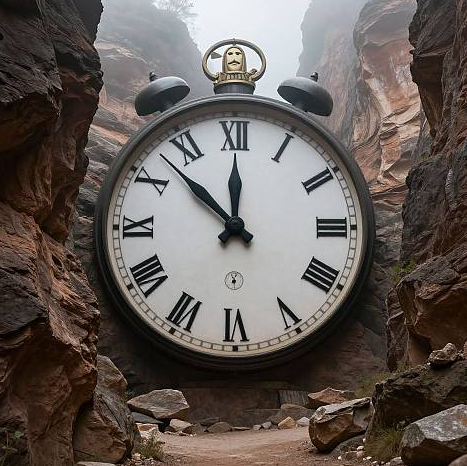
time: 11:52
